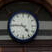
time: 4:45
